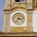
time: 3:36
